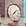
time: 1:37
